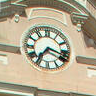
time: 7:18
